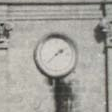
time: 1:37
